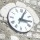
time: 3:04
